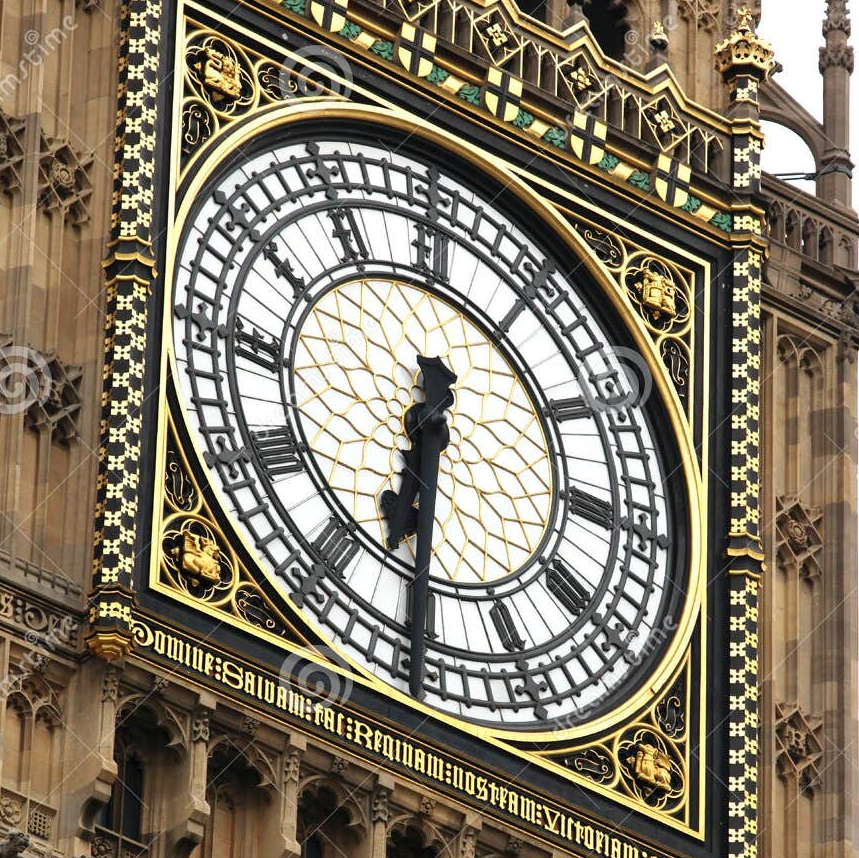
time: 6:30
